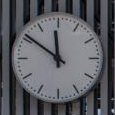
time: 11:50
